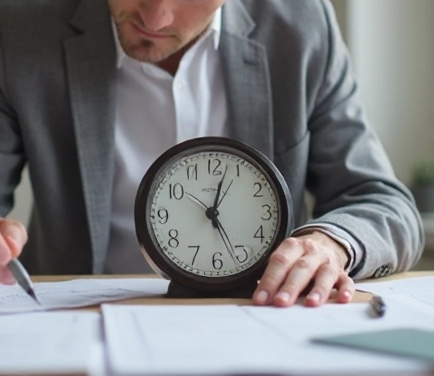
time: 12:26
